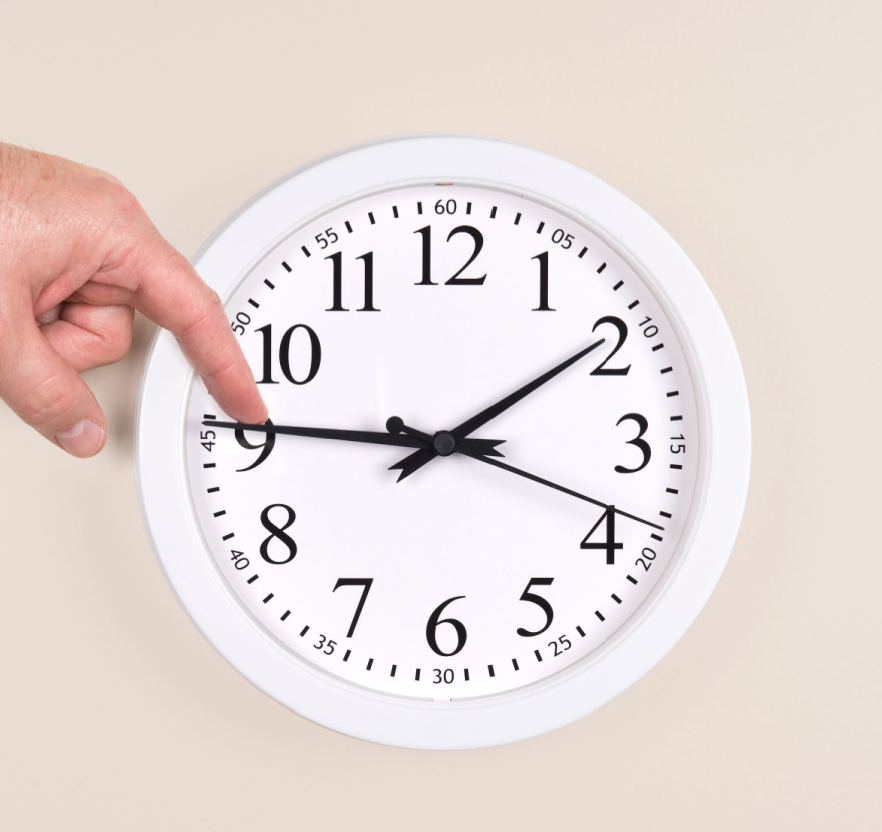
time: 1:46
